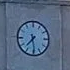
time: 7:29
